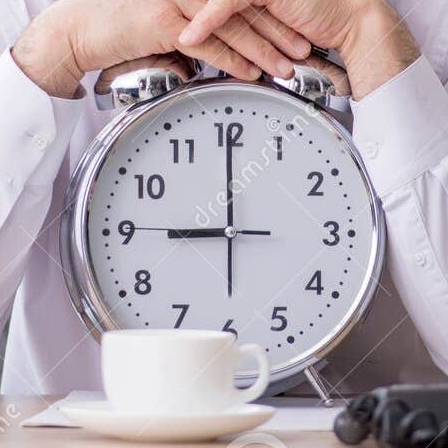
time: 9:00
